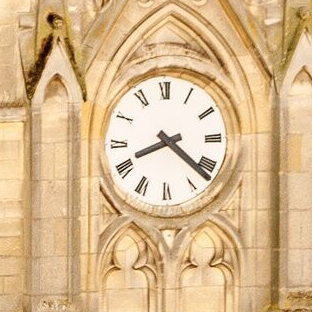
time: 8:21
